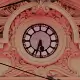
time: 5:33
